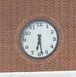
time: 6:28
